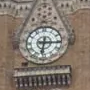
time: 6:15
